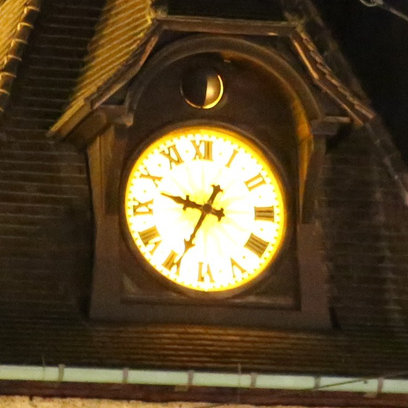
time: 9:34
